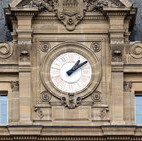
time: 1:09
